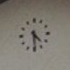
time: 4:29
